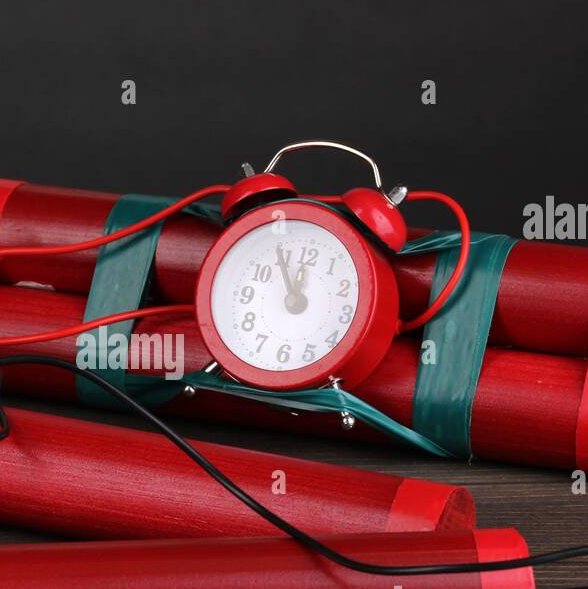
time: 11:54
